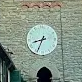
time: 8:34
